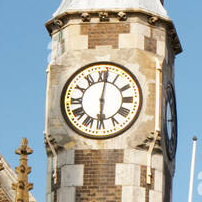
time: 6:01
